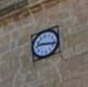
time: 9:17
